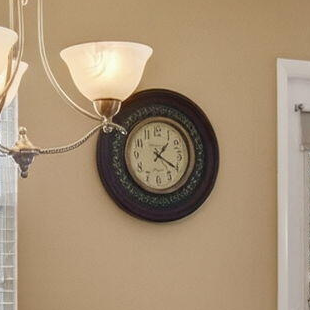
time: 1:20
